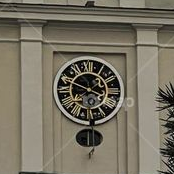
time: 3:48
